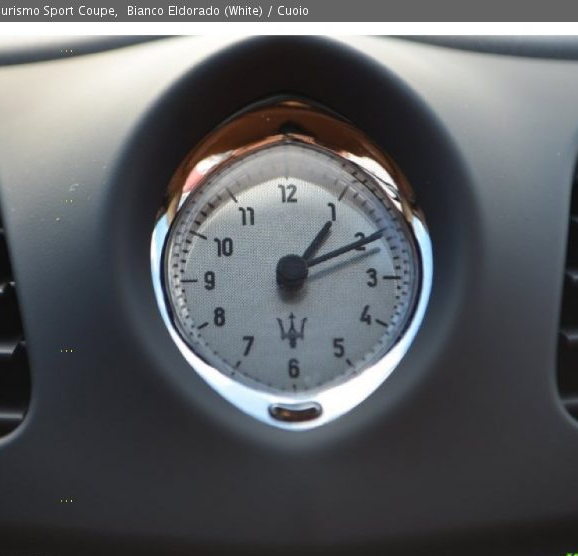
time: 1:10
